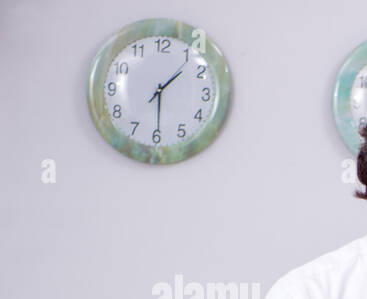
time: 1:29
